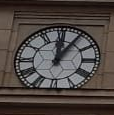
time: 12:05
